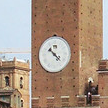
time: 10:22
